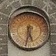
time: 5:31
